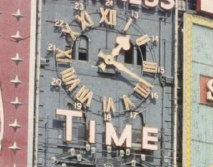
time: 1:18
